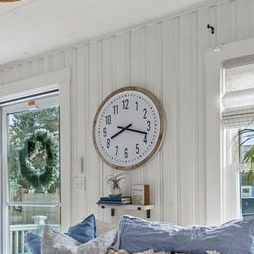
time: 8:17
